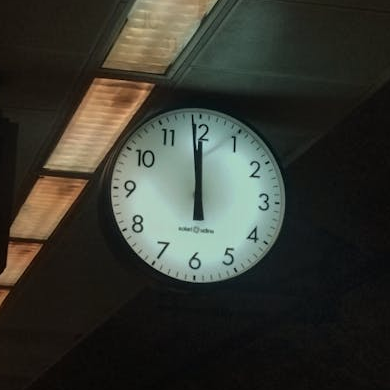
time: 11:58
